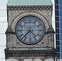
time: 4:37
